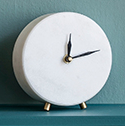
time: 12:12
